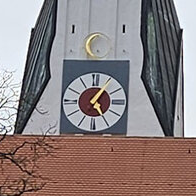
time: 5:05
